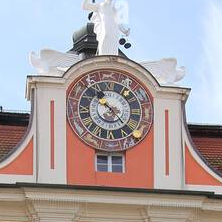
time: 10:22
